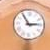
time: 2:54
